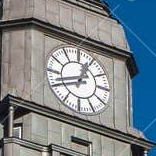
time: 12:42
